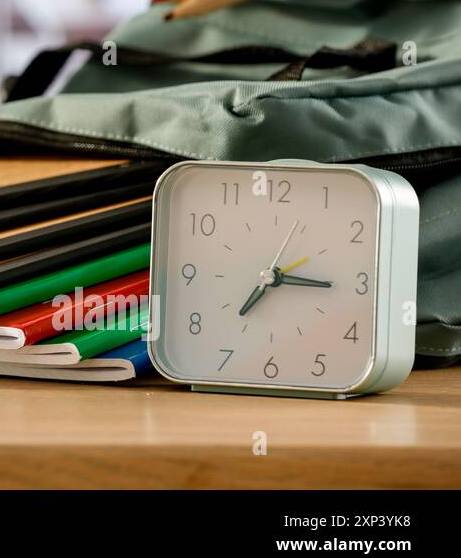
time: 7:15
